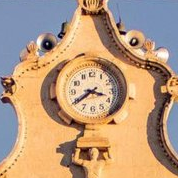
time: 3:39
